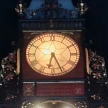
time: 6:26
